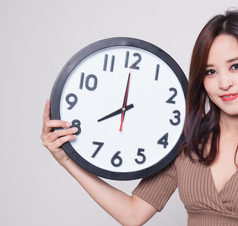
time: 7:59
